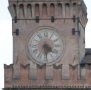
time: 4:29
